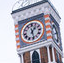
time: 1:28
